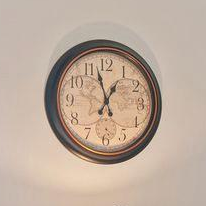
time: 12:57
